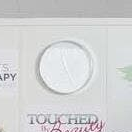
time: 11:25
